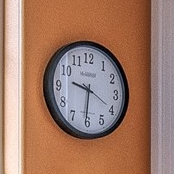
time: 9:30
